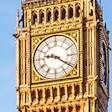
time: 9:20
